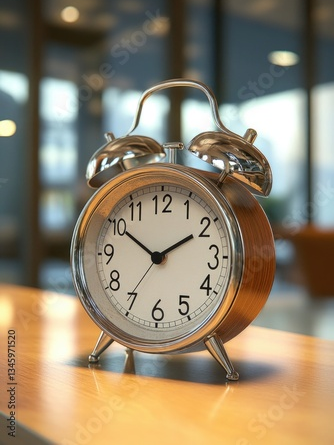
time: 1:50
